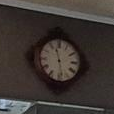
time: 11:28
